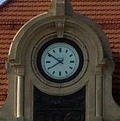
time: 7:50
